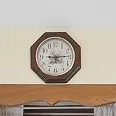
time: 9:13
